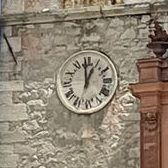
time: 12:59
